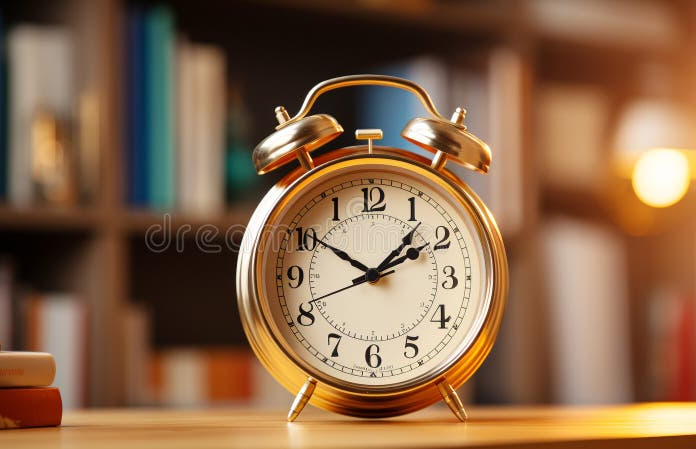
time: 1:50
